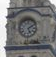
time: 5:09
